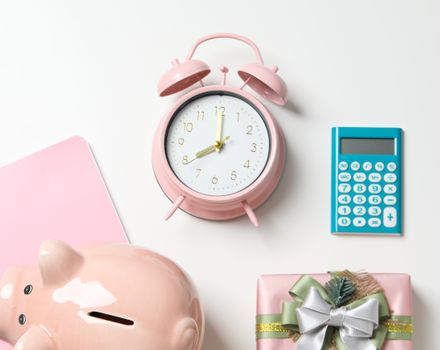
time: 8:00
